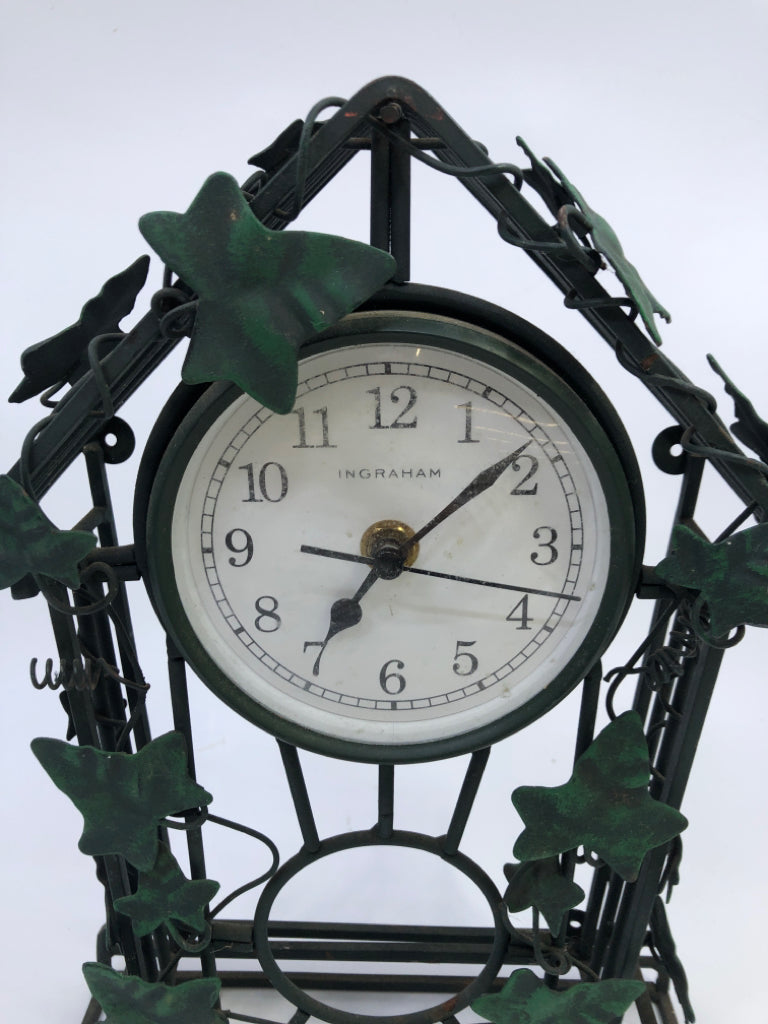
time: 7:08
